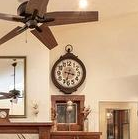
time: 3:32
